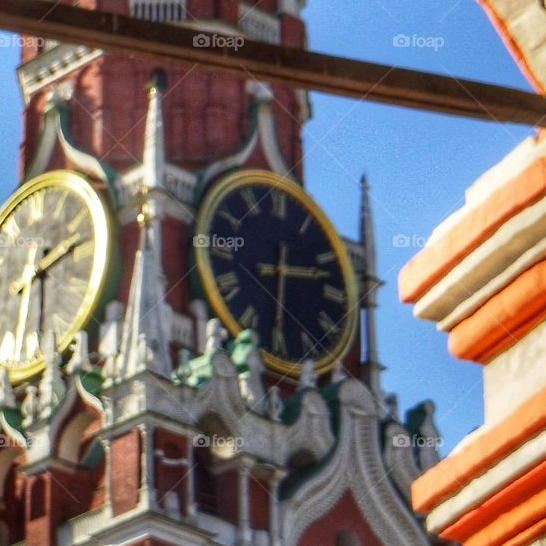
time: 2:30
